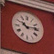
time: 10:13
